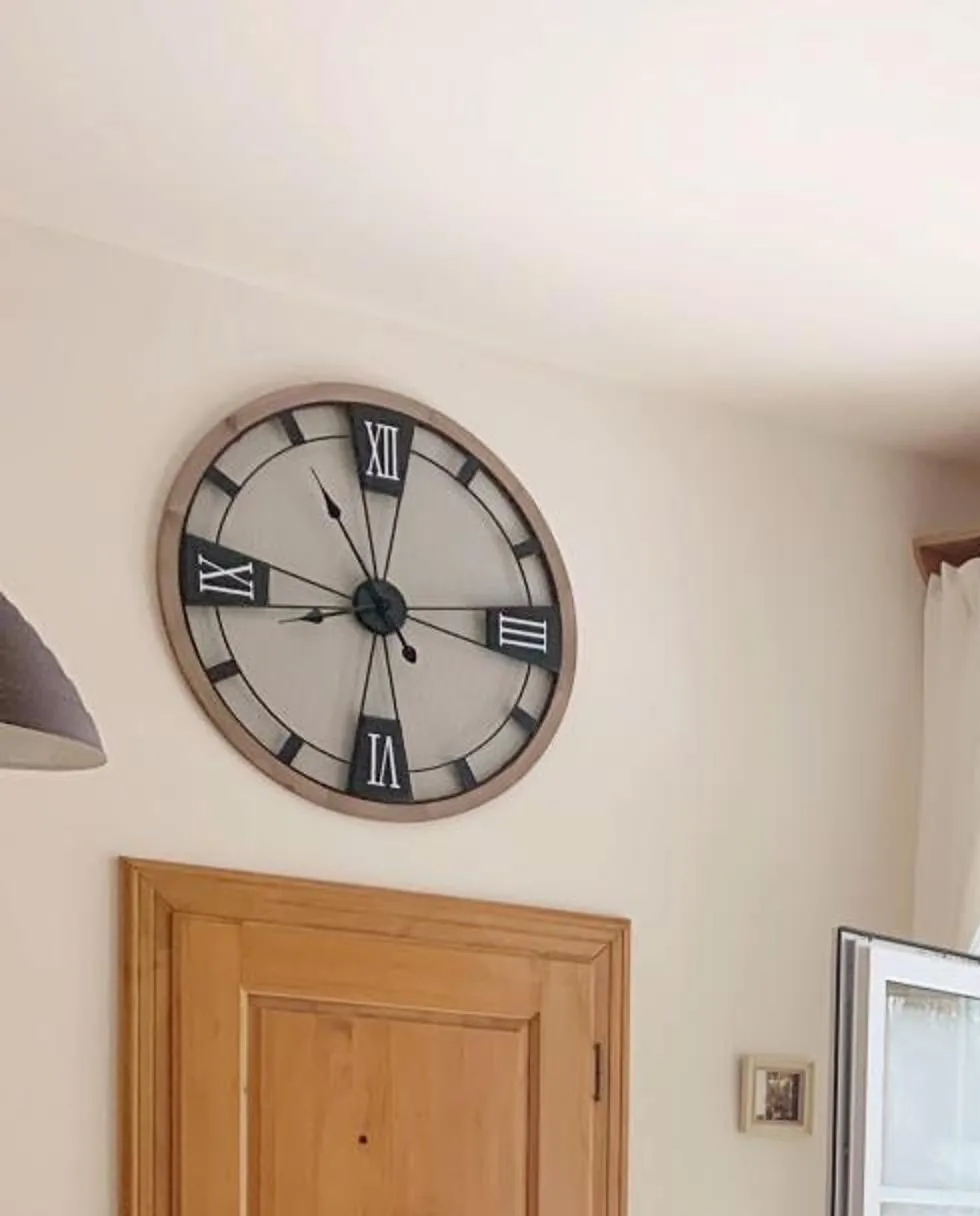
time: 8:31
